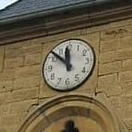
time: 11:52
